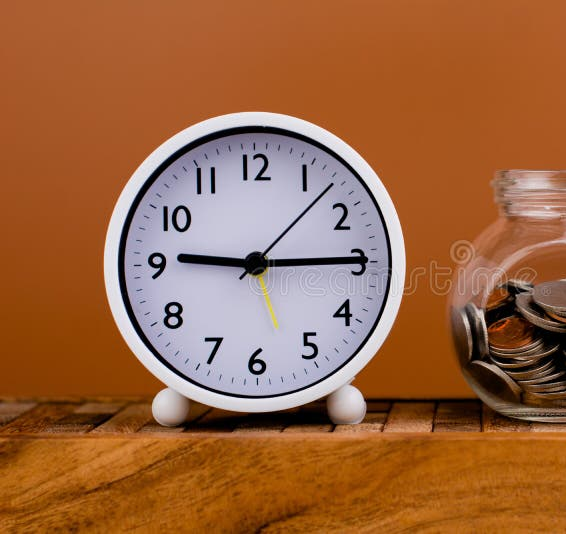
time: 9:14
